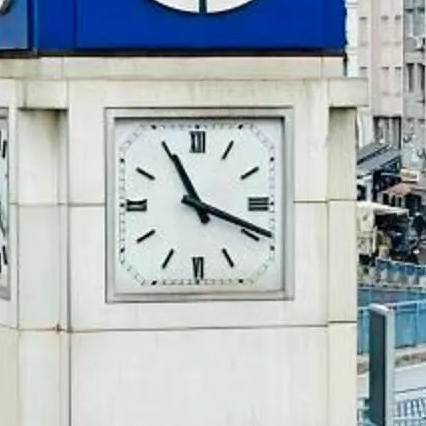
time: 11:18
